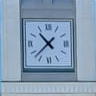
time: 10:37
